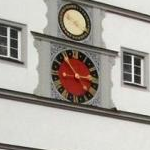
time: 2:53
